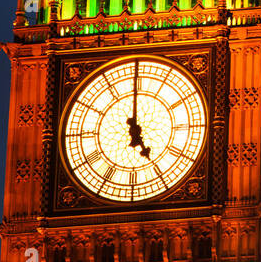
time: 4:59
